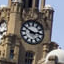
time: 2:49
